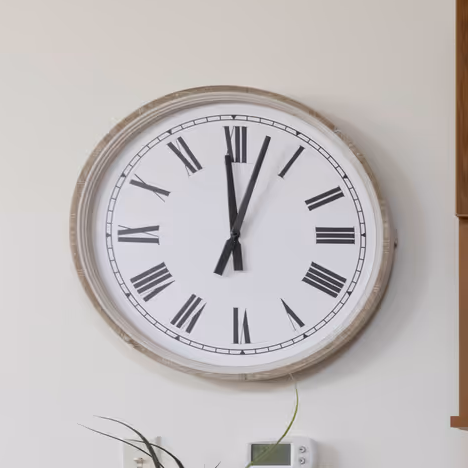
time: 12:02
